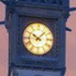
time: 10:07
